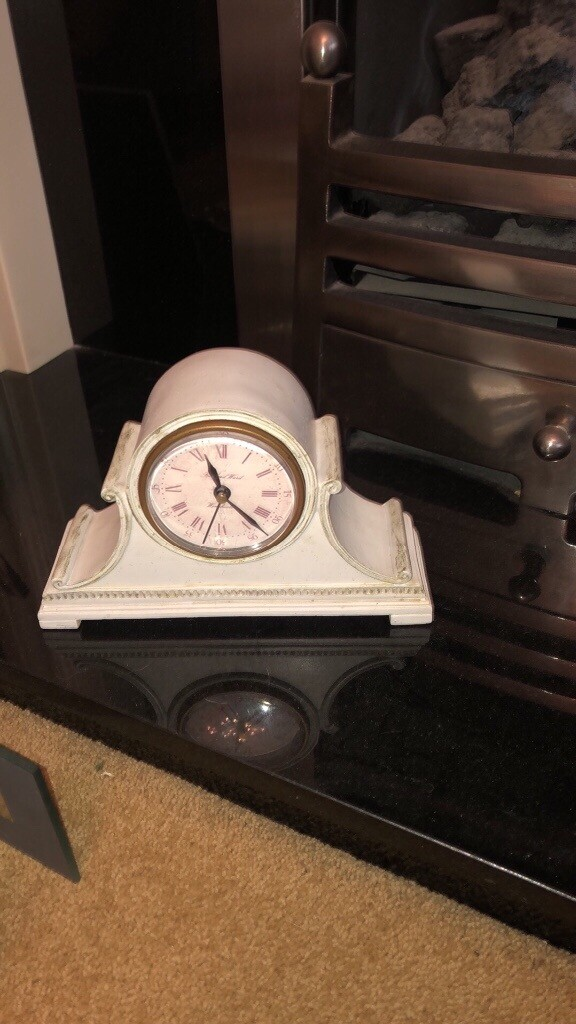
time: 11:23
